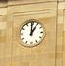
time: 12:59
